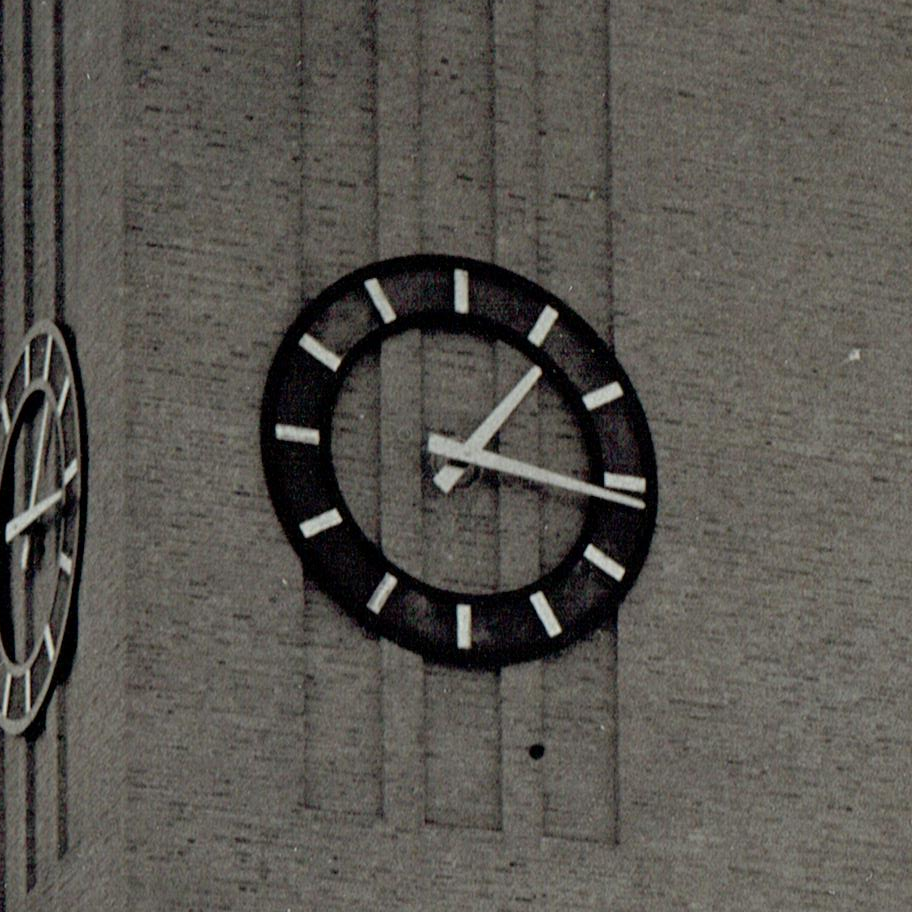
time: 1:16
